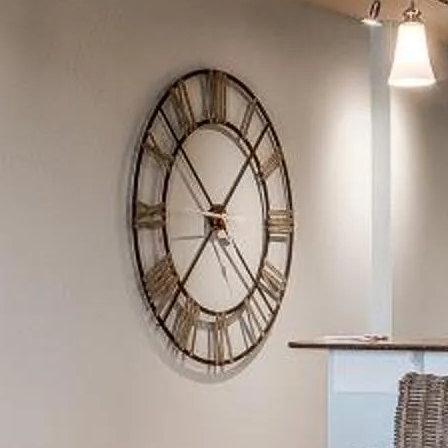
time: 1:37
